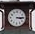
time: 3:14
